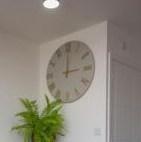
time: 3:00
